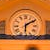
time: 6:09
